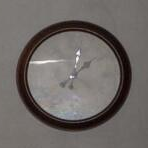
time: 12:08
